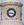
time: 3:43
